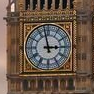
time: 2:58
